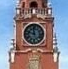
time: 11:48
